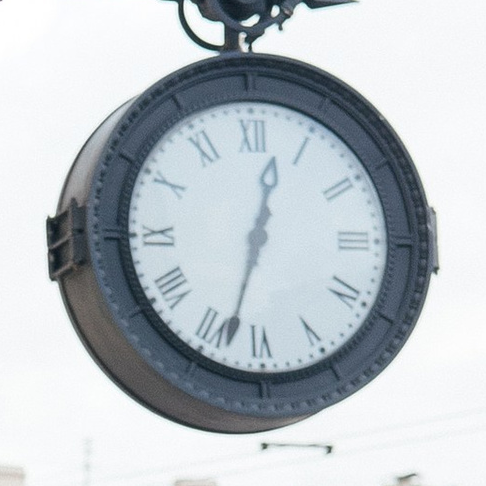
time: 12:32
